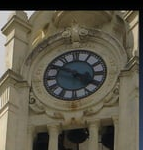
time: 3:48
